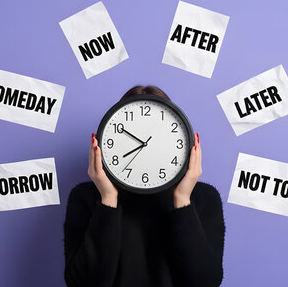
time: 7:50
